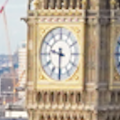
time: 9:30
